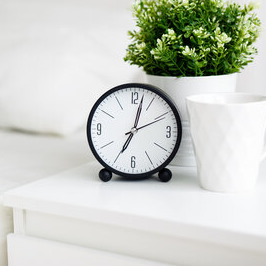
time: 7:02
